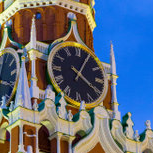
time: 4:04
